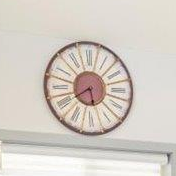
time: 5:40
